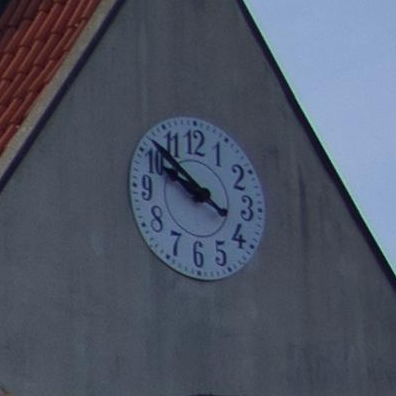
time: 9:51
